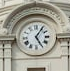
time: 5:05
